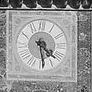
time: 4:28
